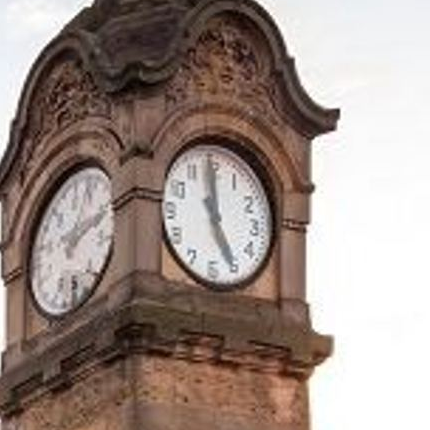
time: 4:59
